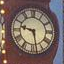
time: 9:28
